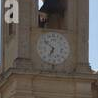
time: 6:52
